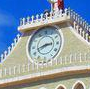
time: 2:42
